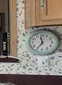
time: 11:35
